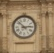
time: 2:52
